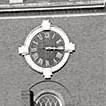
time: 3:14
